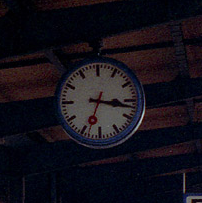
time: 3:17
